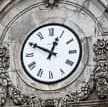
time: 12:49
